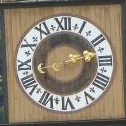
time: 2:12
